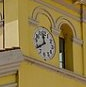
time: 11:39
